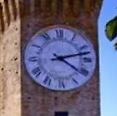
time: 4:12
